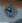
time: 12:48
